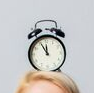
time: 11:55
